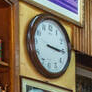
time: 3:15
